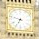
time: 6:47
